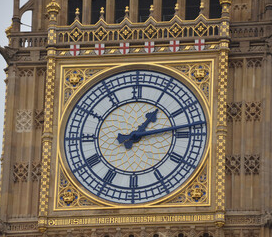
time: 1:13
